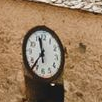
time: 11:36
